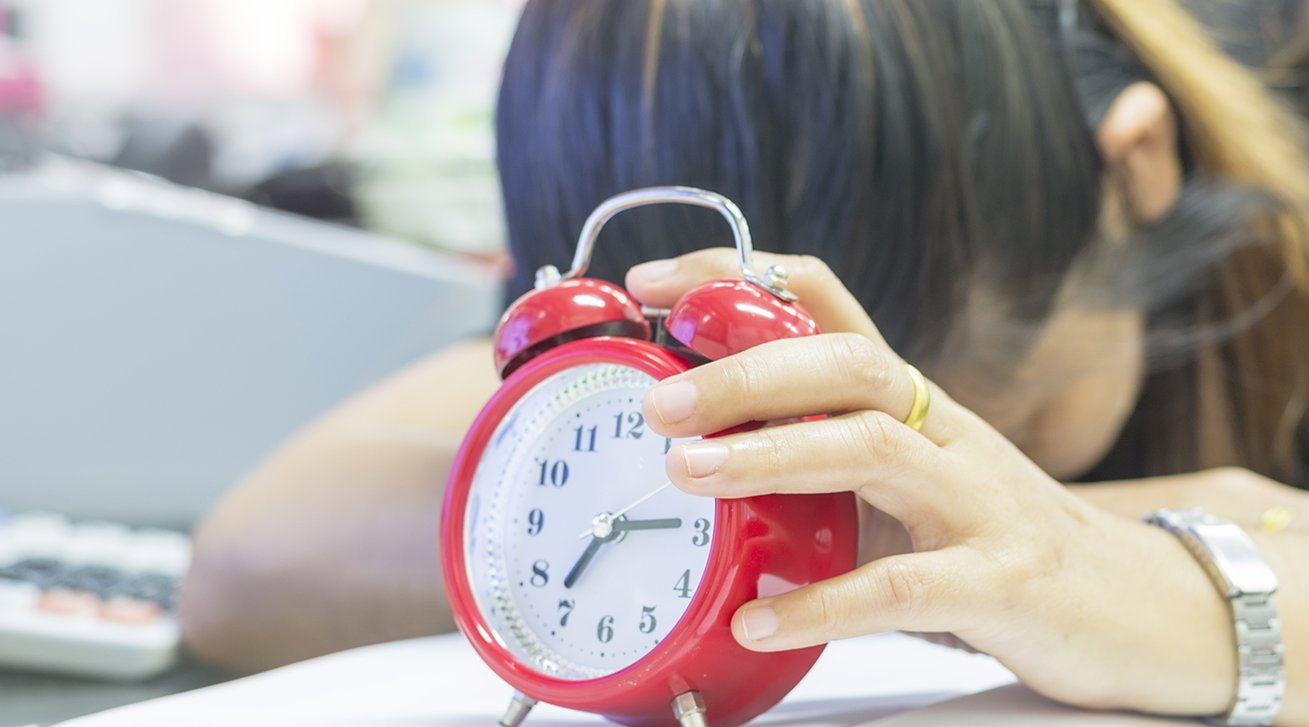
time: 7:15
